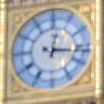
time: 12:16
